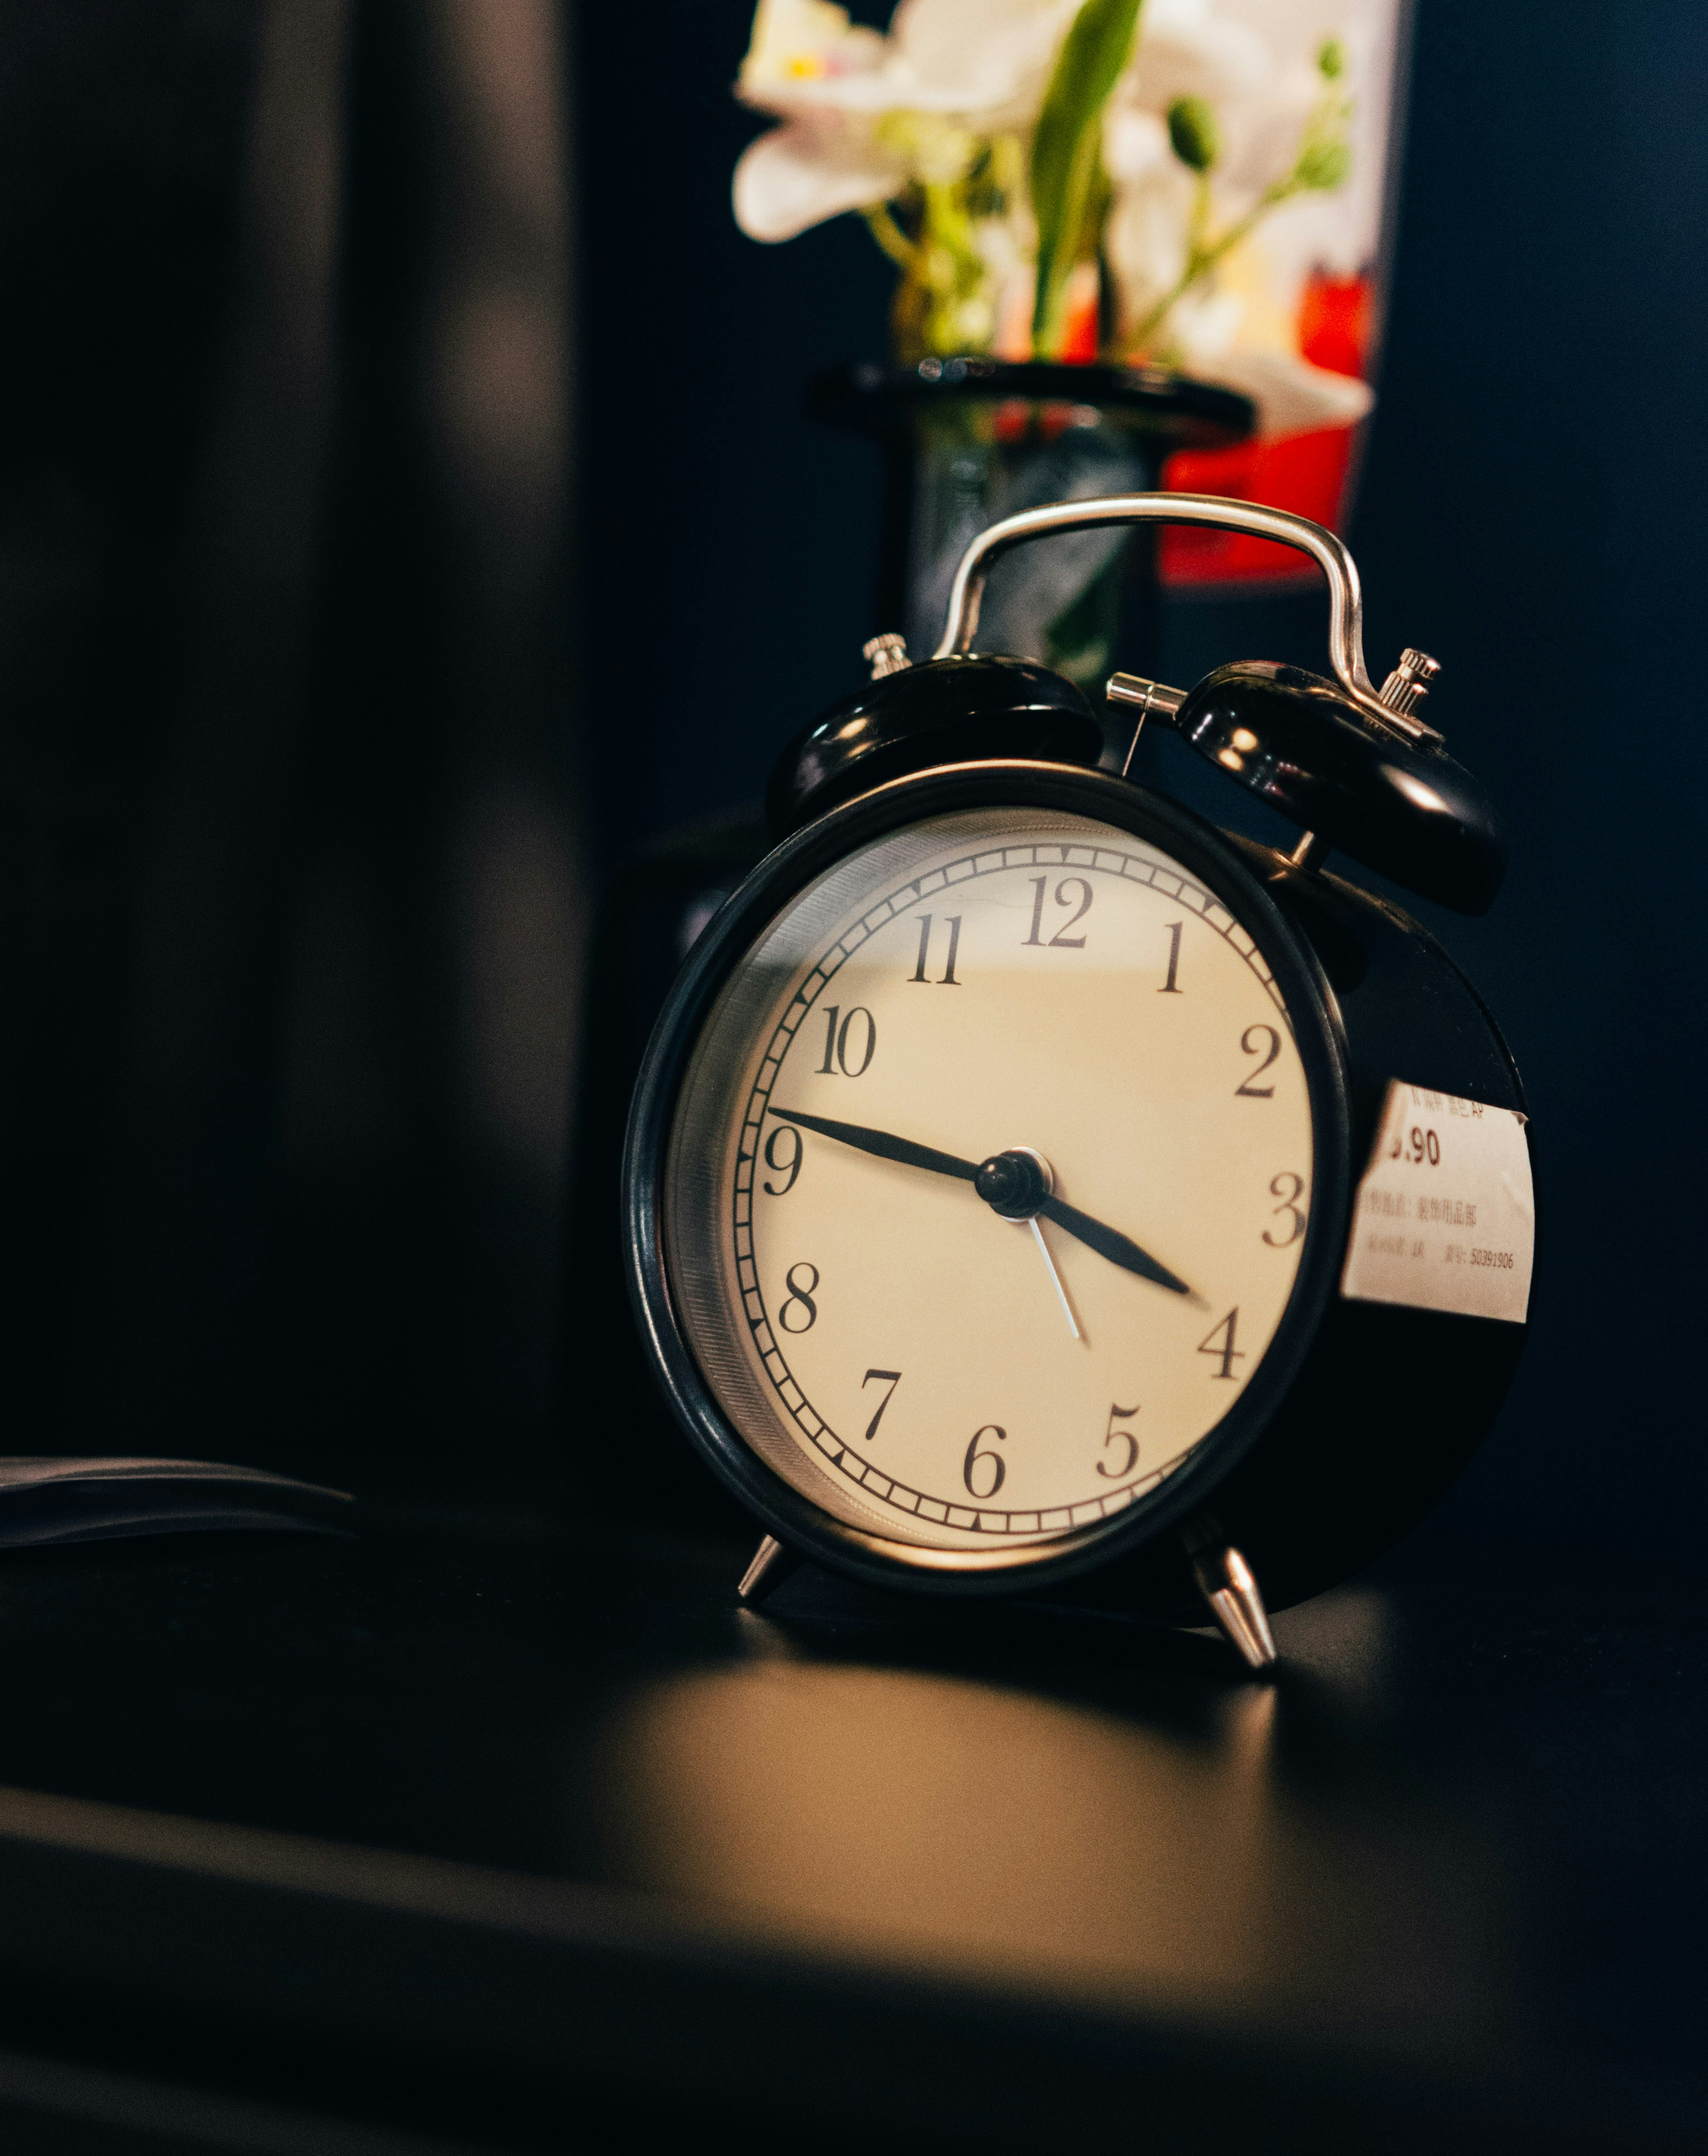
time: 3:46
